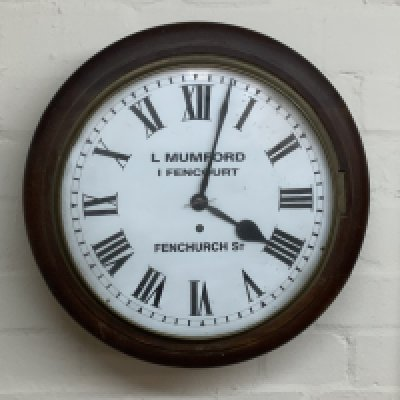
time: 4:02
